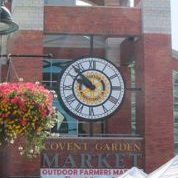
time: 9:53
